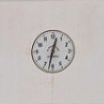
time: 12:32
